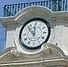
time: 11:52
